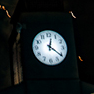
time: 12:21
